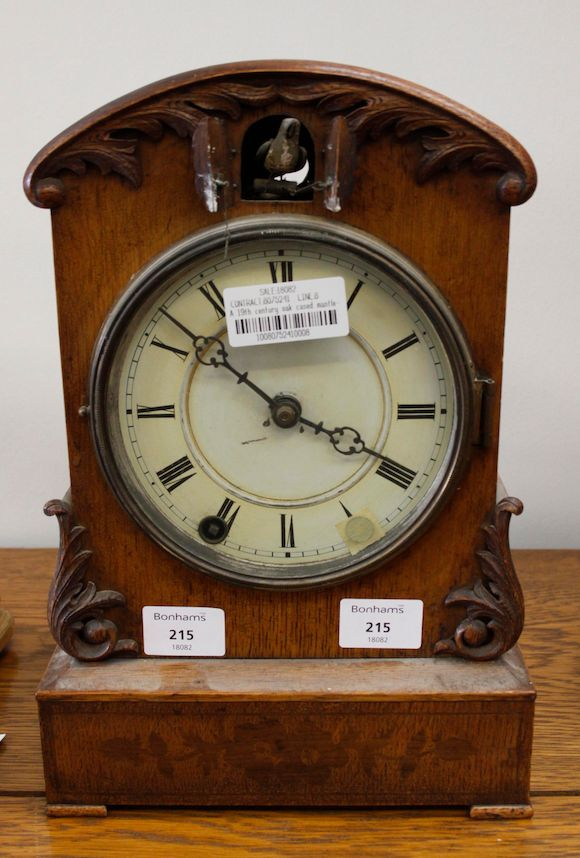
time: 3:51
